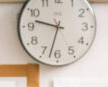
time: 9:32
